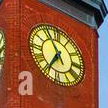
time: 6:55
